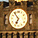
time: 6:54
